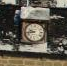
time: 9:43
